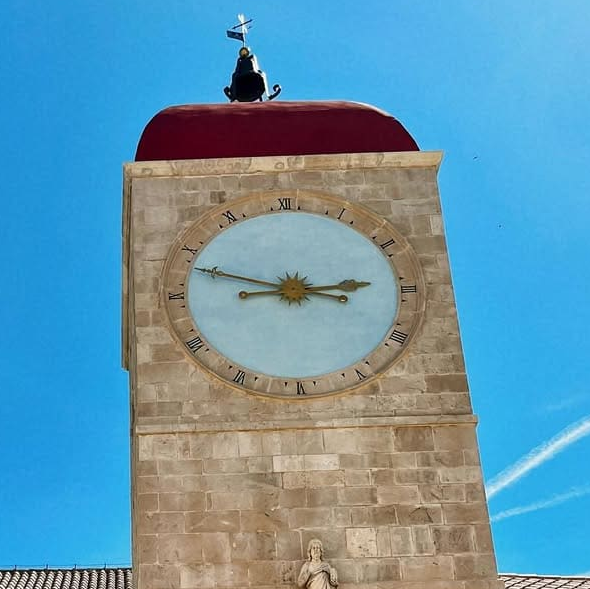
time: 2:48
